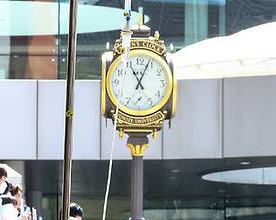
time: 11:04
